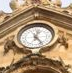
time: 12:23
